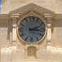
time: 2:16
